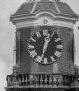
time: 12:32
